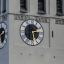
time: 2:29
